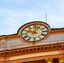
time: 10:02
